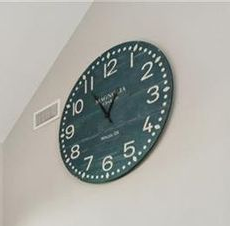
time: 12:54
